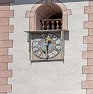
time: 12:30
